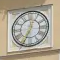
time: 12:34
